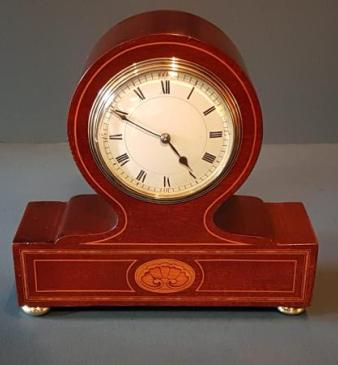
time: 4:49
